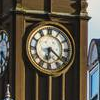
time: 6:21
